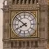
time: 7:51
